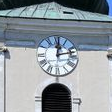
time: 12:12
